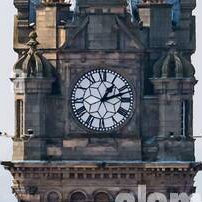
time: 1:11
